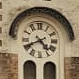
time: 4:40
